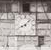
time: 8:07
